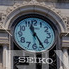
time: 11:25
